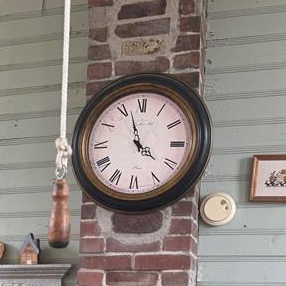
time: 3:57
